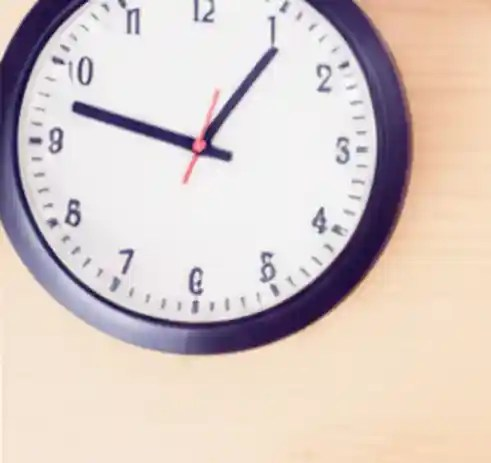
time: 12:47
